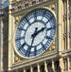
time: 2:33
